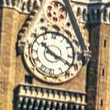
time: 10:19
